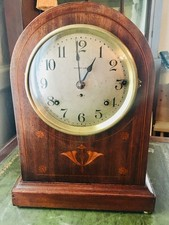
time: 12:59
